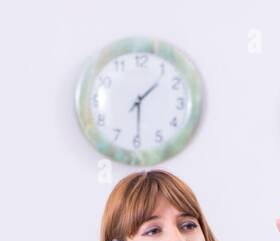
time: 1:29
